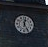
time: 12:24
